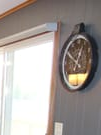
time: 12:49
